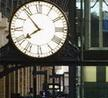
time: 7:53
